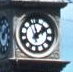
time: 1:57
